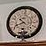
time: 10:41
